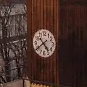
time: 4:39
